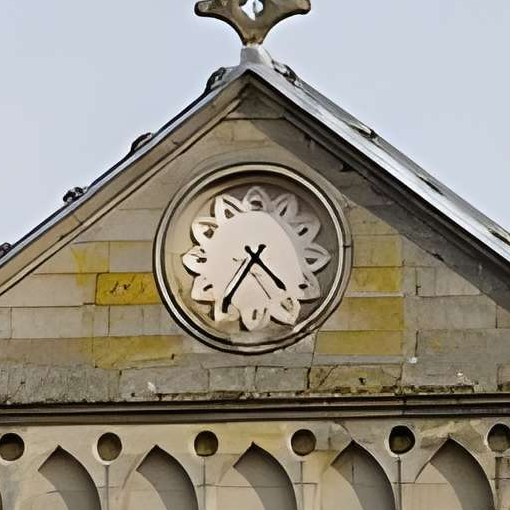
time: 4:35
